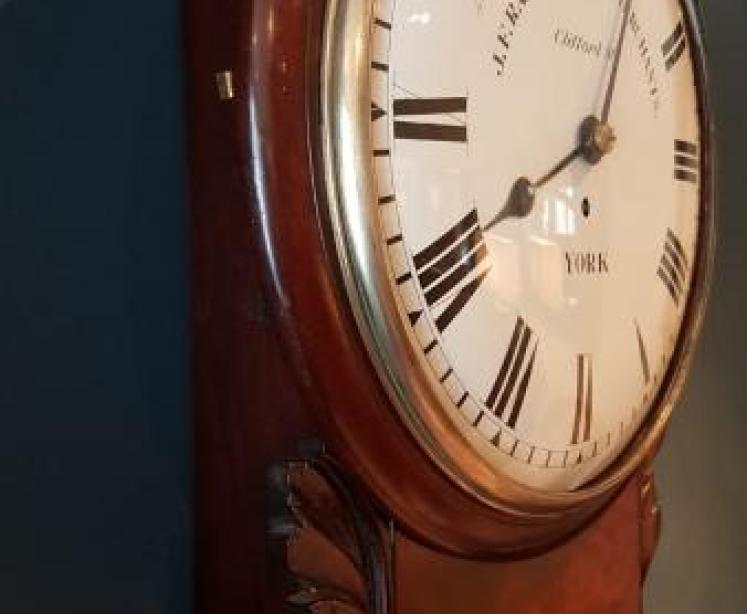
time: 8:04
